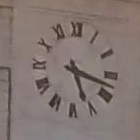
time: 5:17
